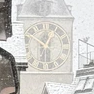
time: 12:50
